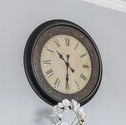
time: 10:30
